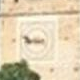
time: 8:47
